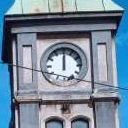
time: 12:00
